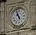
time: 10:56
